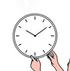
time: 10:08
